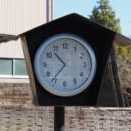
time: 10:36
